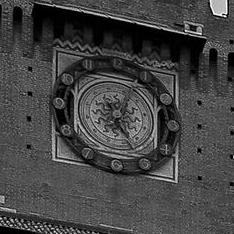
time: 5:03
